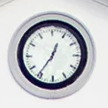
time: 12:36
